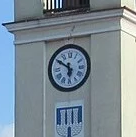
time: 5:50
